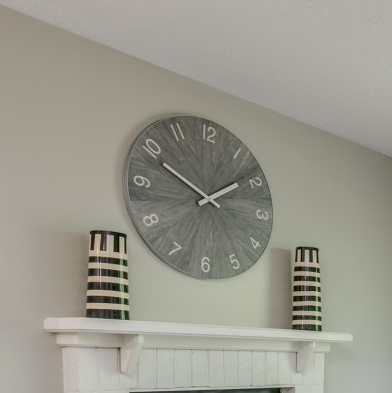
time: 1:49
